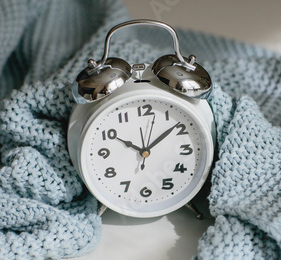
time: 10:08
